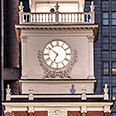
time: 6:51
